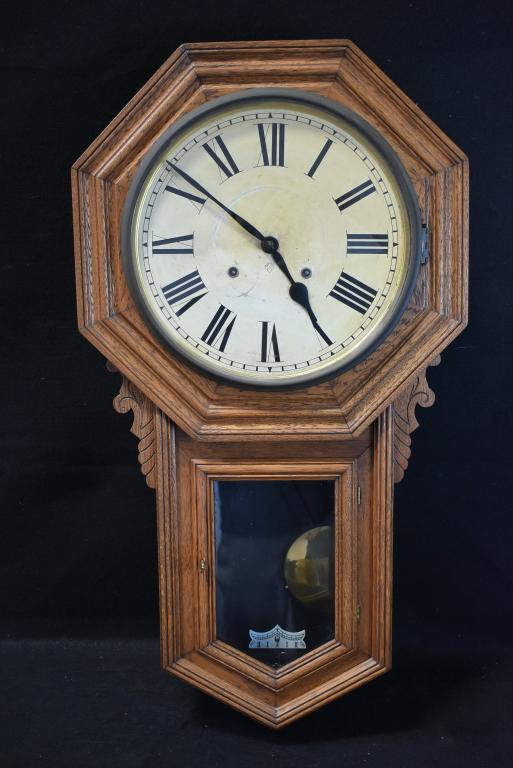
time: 4:51
